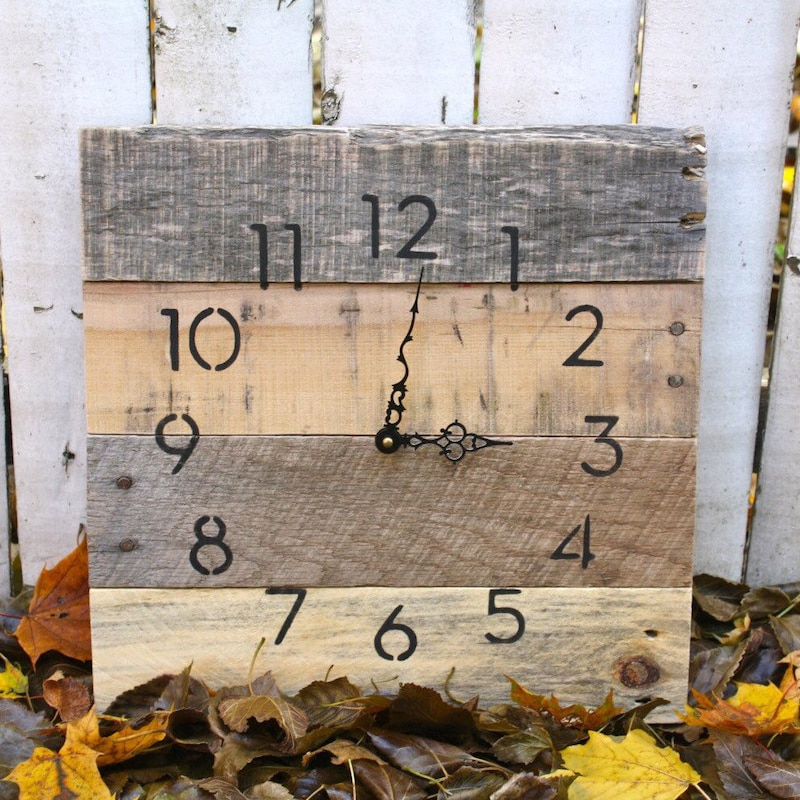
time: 3:01
